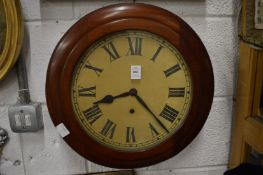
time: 8:22
